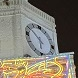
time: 5:51
